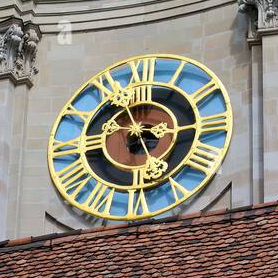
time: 2:56
